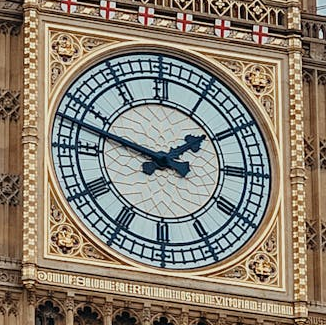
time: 1:47
